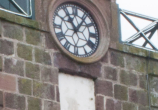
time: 11:06
